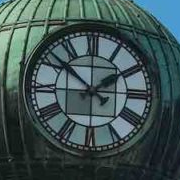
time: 1:51
